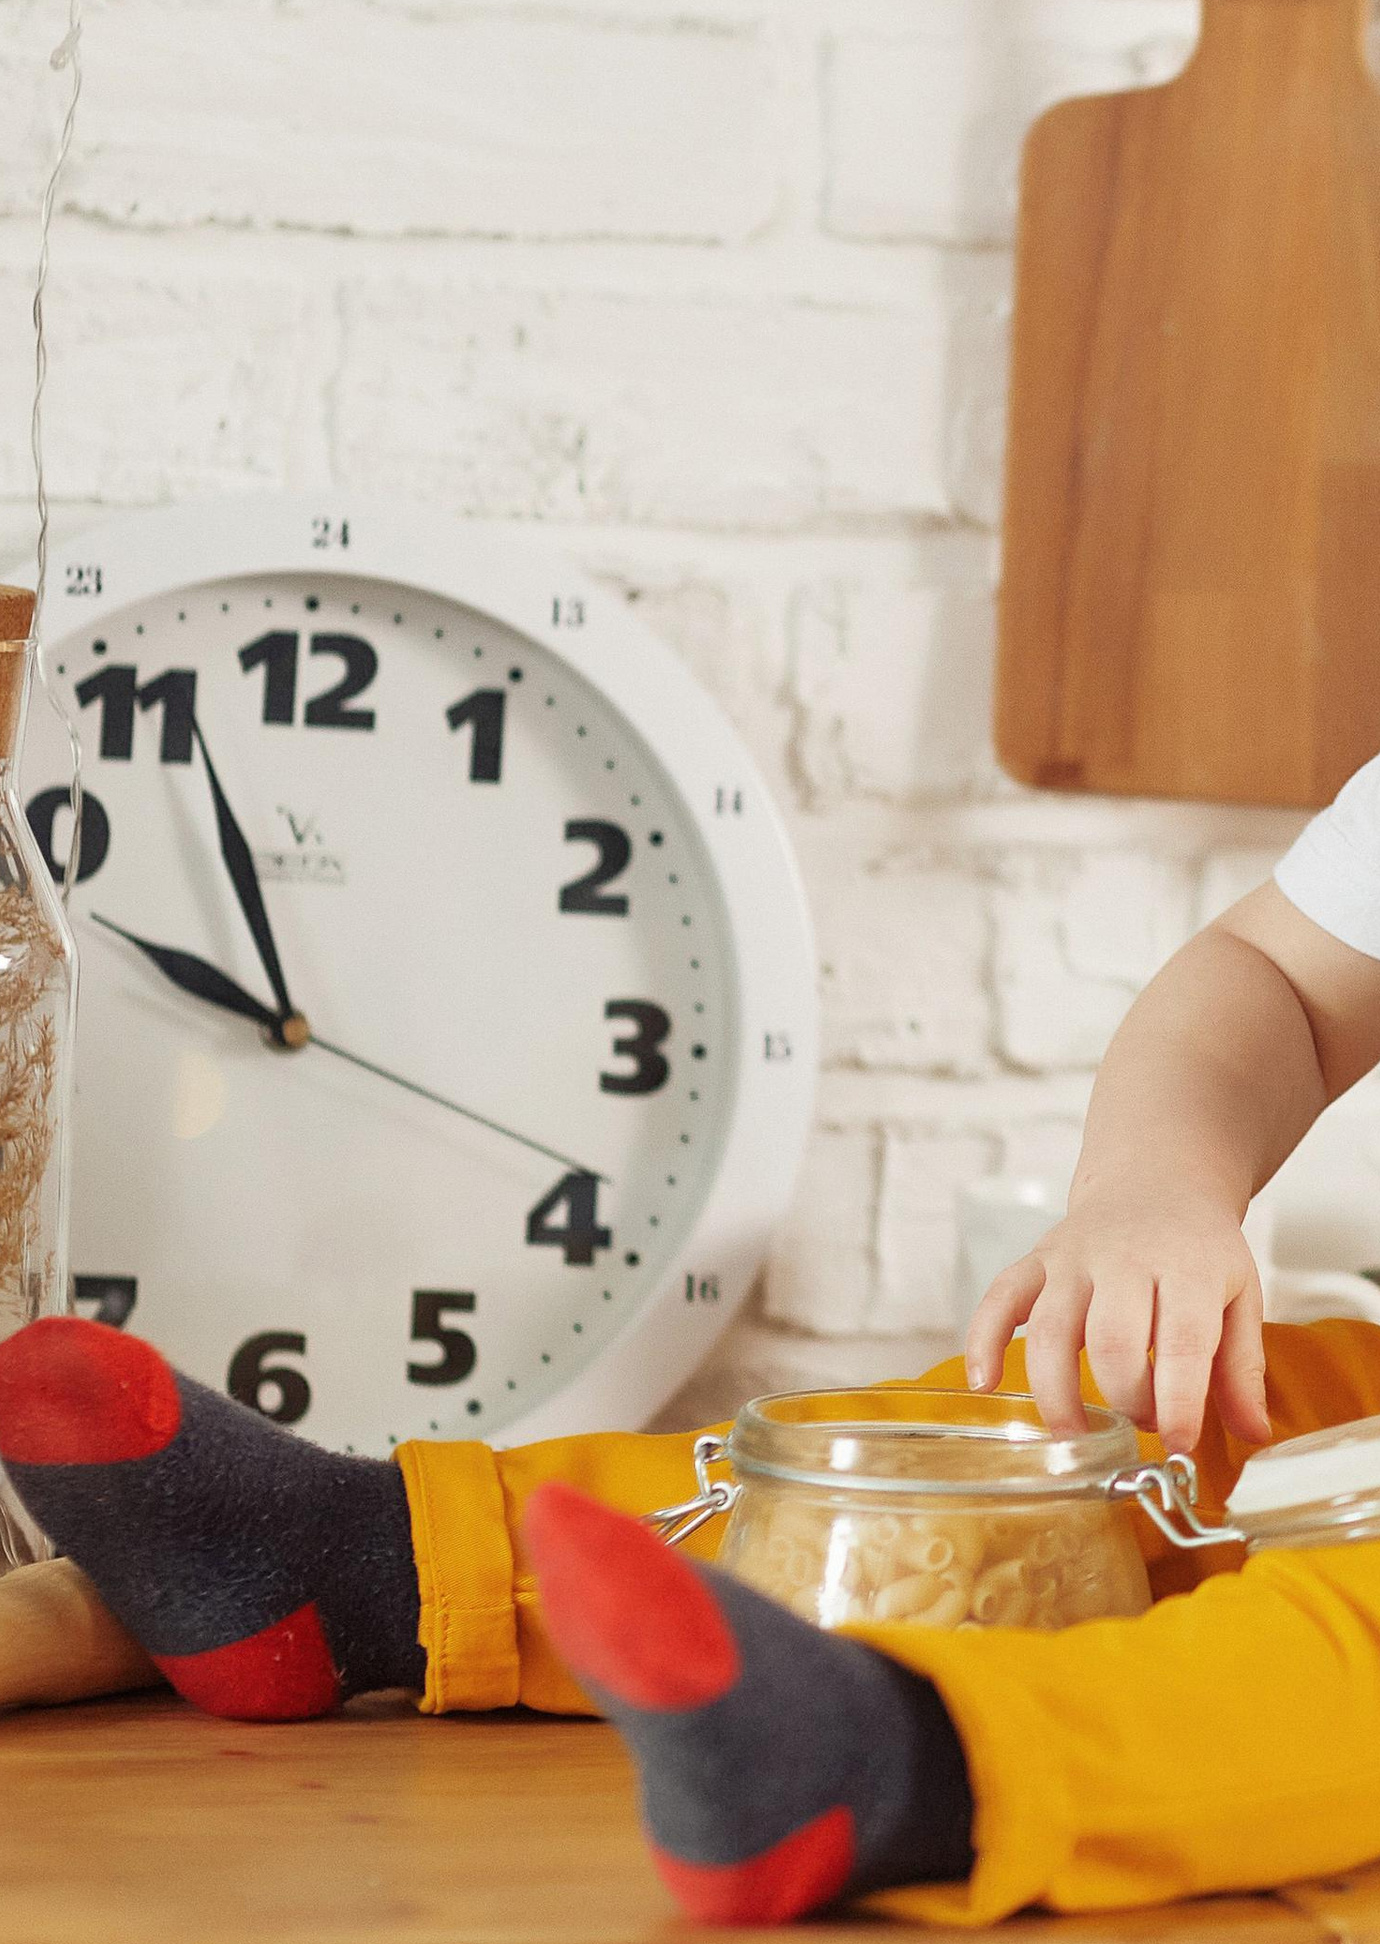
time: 9:56
